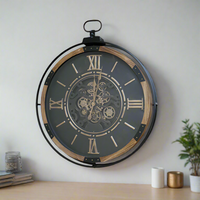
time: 7:00
